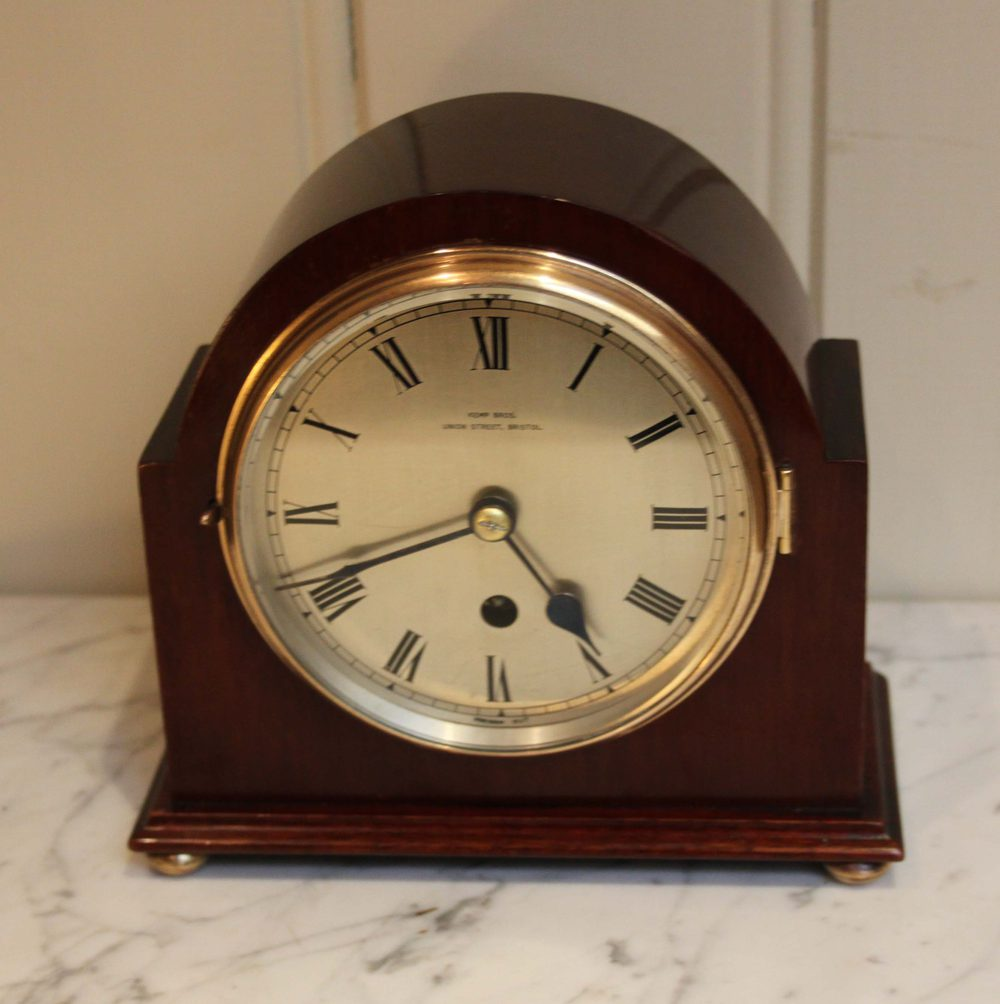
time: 4:41
